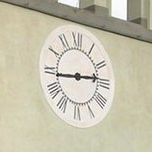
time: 2:43
